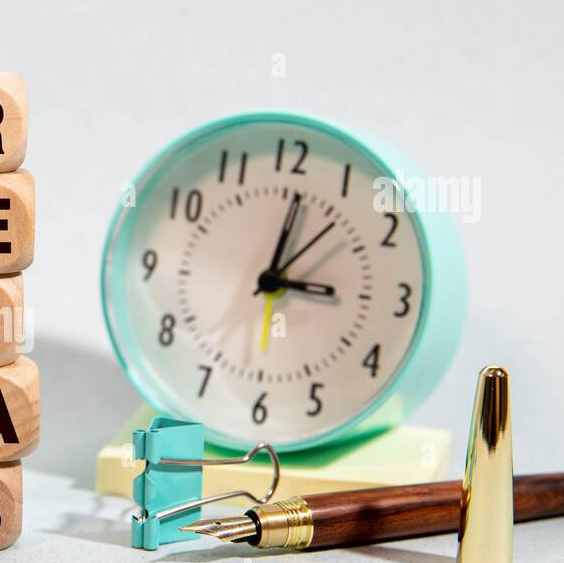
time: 3:01
